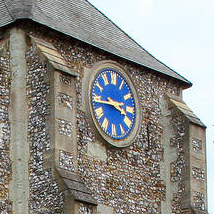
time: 3:44
